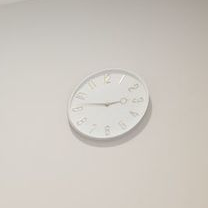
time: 2:46
